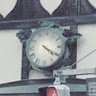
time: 4:20
